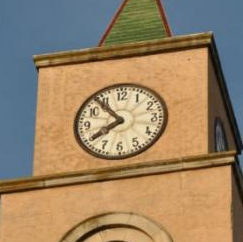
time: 7:53
